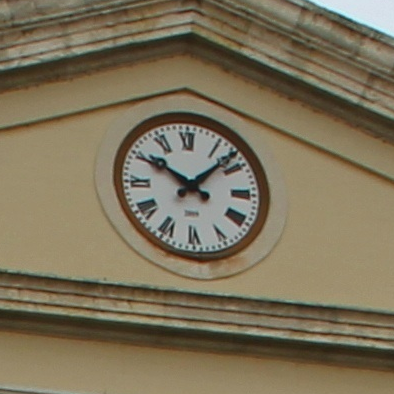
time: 10:07
